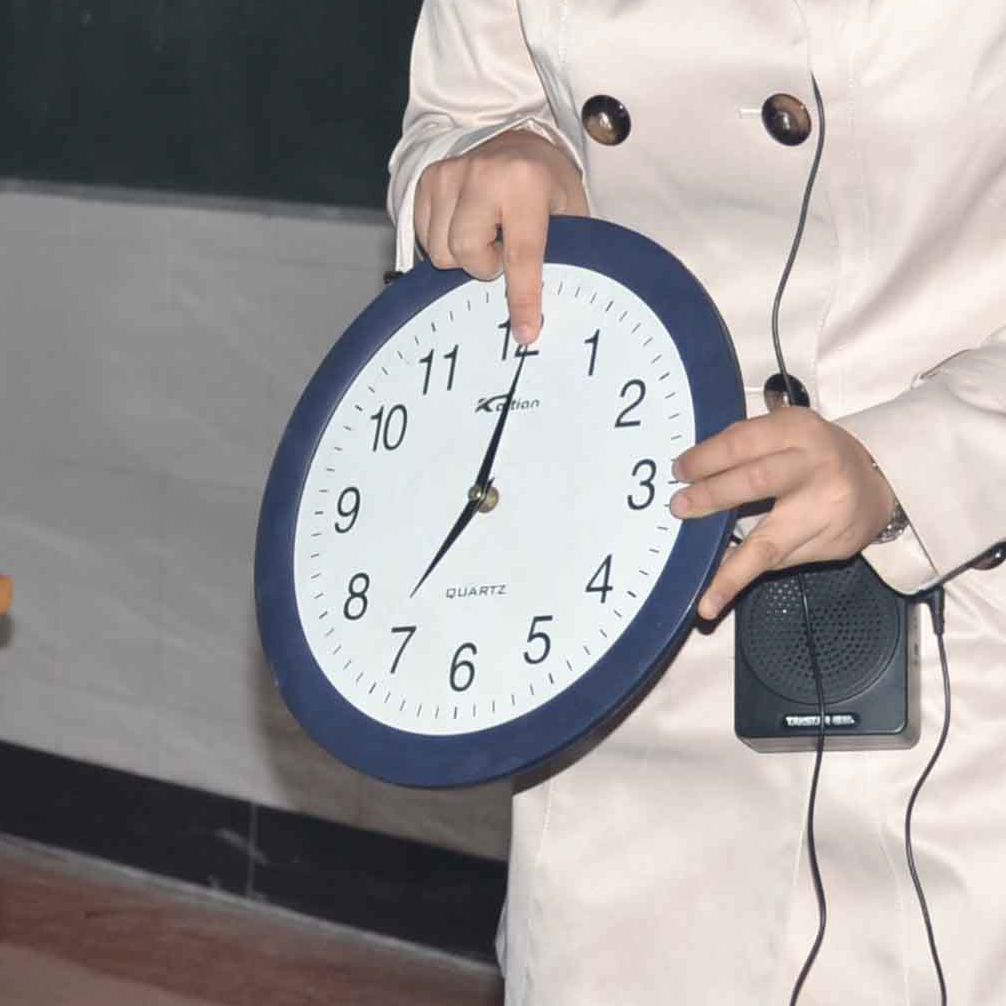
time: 7:01
